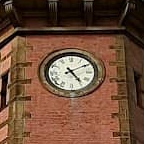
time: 5:09
